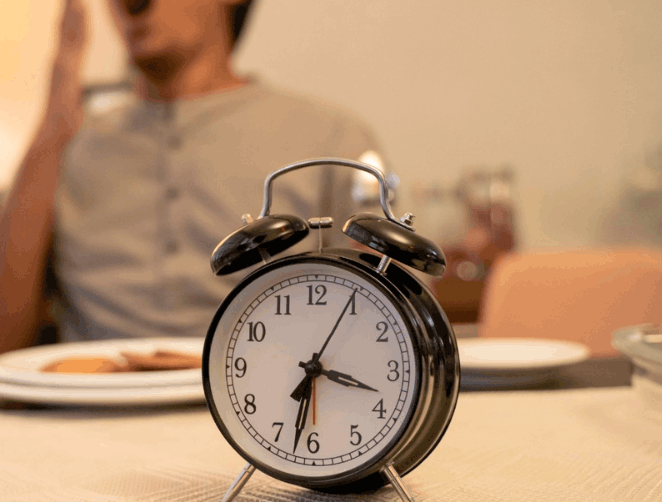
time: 3:32
